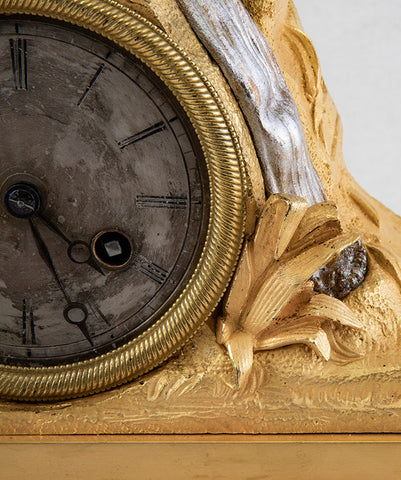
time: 4:26
